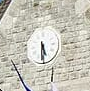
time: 5:30
